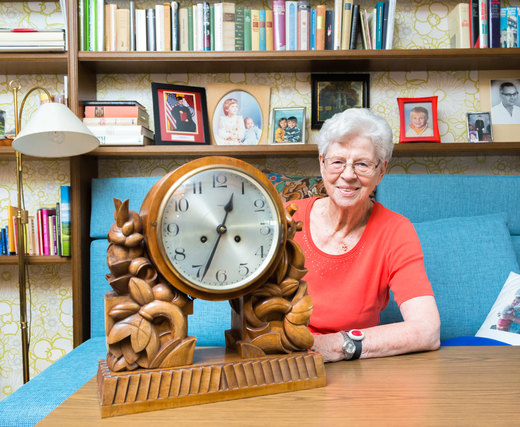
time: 12:33
